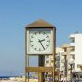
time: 2:24
